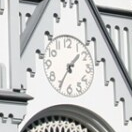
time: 1:35
